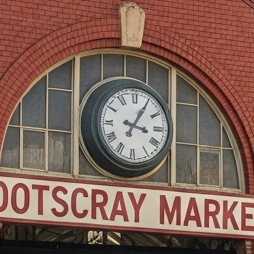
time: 3:05
